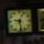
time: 9:28
